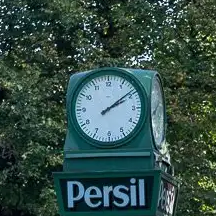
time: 2:09
